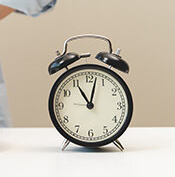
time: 11:02
